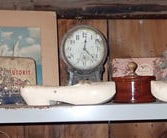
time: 12:22
